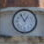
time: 12:55
